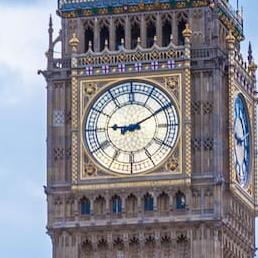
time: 9:10
